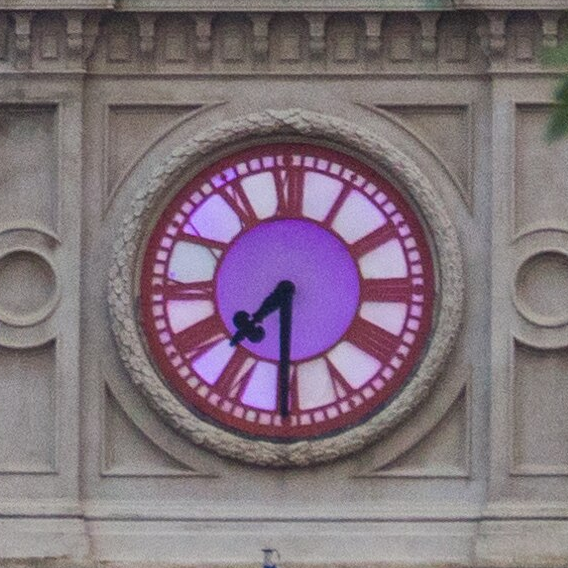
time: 7:30
